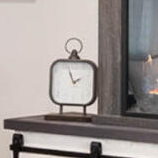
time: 1:56
